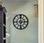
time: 6:14
